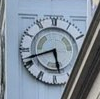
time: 5:42
